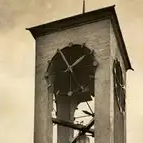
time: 1:55
